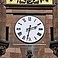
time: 2:32
